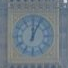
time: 12:04
